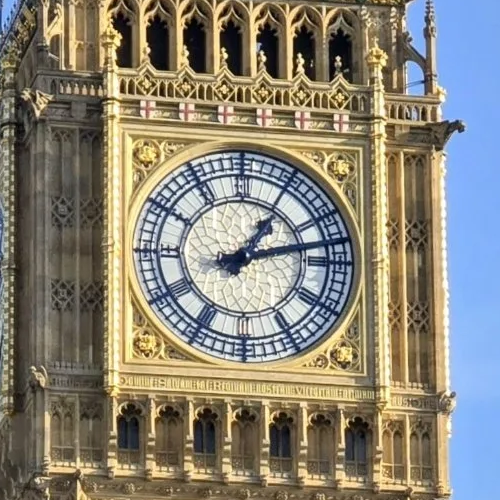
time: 1:12
